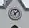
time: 11:07
